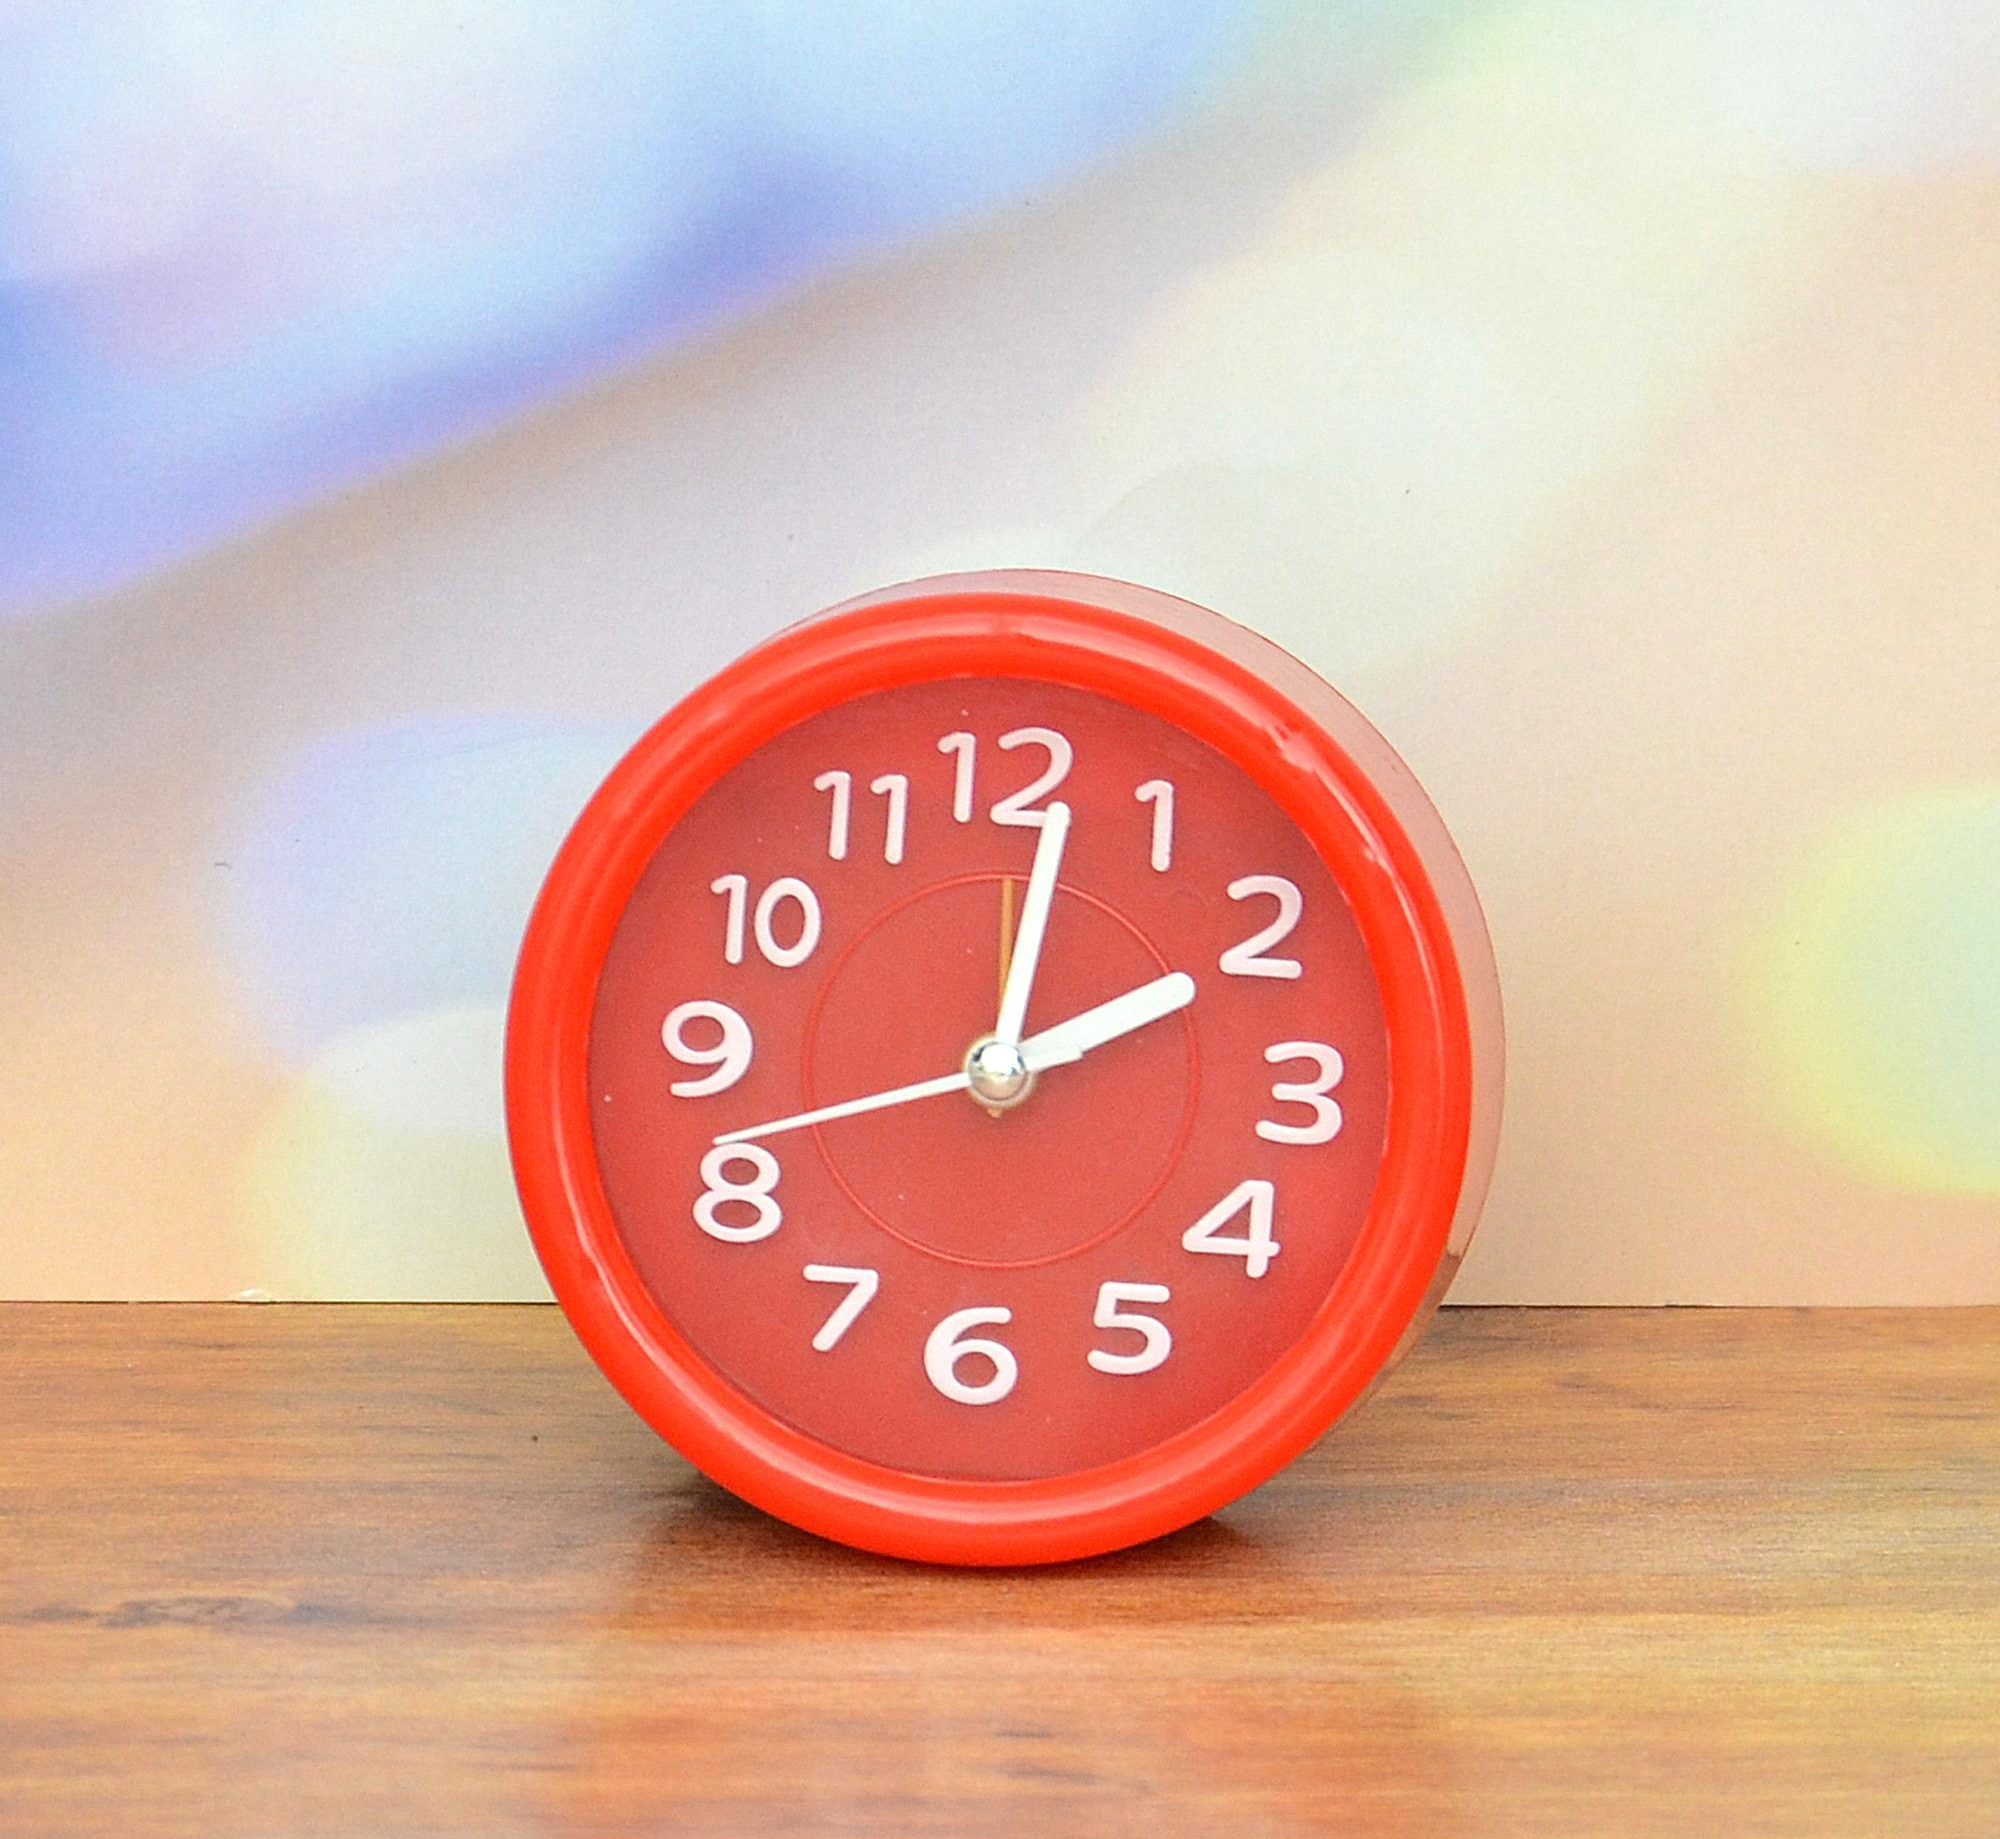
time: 2:01
